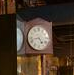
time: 4:42
